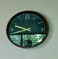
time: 9:42
